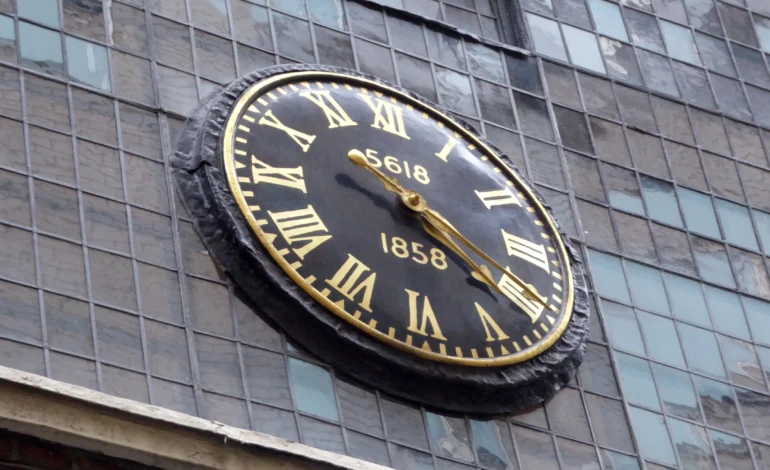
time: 4:21
